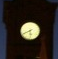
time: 5:40
